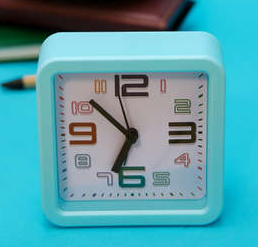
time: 6:52
